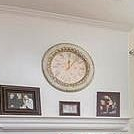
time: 12:07
